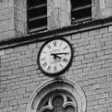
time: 4:14
